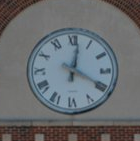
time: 12:19
